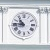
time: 10:45
